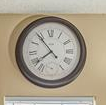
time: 7:53
